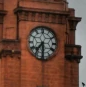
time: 7:30
